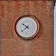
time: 10:38
